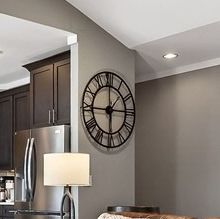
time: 5:59
